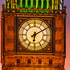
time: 6:10
